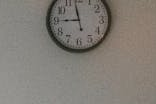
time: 8:58
